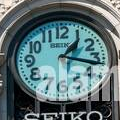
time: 1:16
